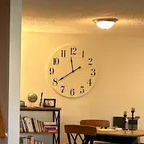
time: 11:39
